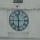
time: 11:30
